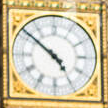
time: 4:51
